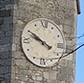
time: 9:50
